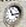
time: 11:13
